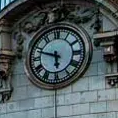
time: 5:48
